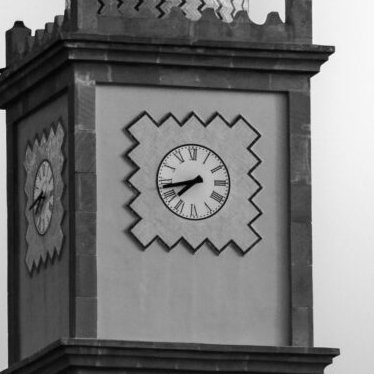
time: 7:42
